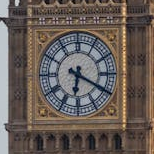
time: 6:19
